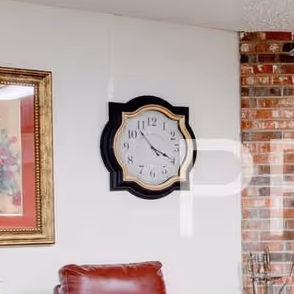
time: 3:53
